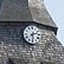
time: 2:29
